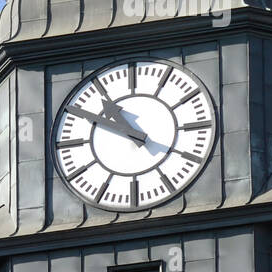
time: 10:50
